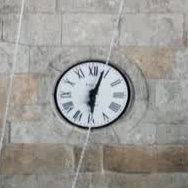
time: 6:03
